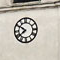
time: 7:50
